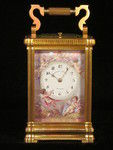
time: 10:07
